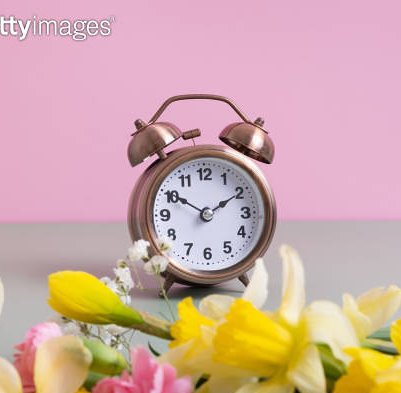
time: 1:50
